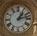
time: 1:12
